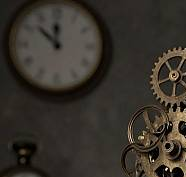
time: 11:52
